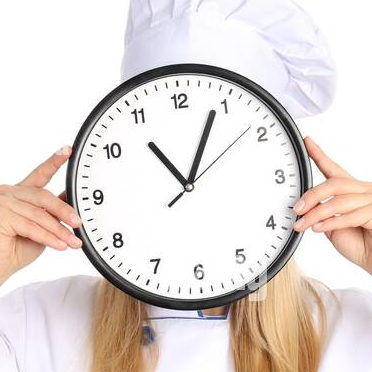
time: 11:04
